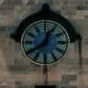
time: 12:39
